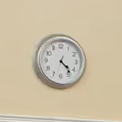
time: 4:23
